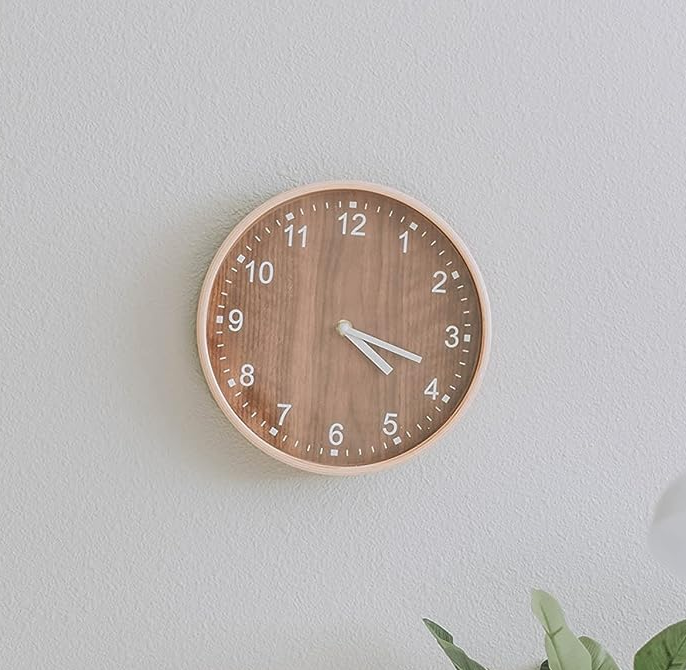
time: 4:18
